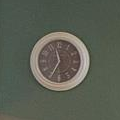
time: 11:34
